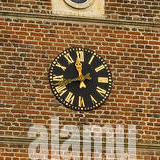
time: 11:41
